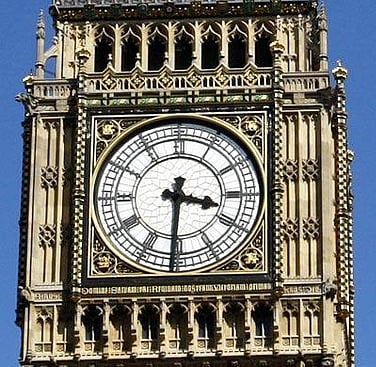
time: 3:30
